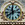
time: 11:38
